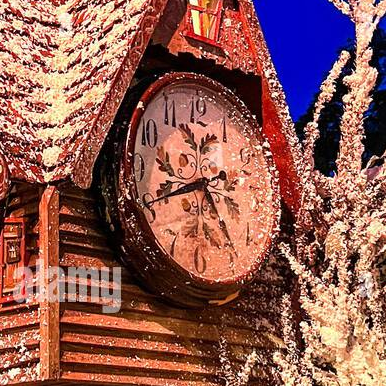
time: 4:41
